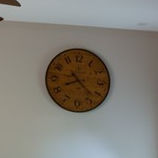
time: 8:22
